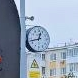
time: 12:42
